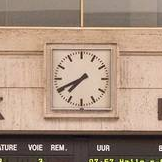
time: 7:40
